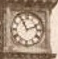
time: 11:11
